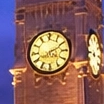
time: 4:10
